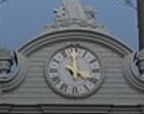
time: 5:21
